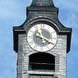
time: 9:20
